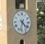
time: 4:32
